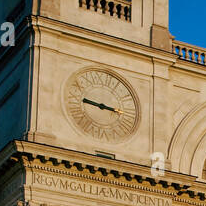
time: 9:16
